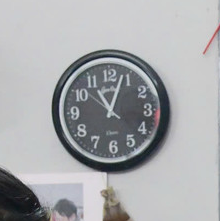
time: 11:03
